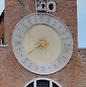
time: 7:38
